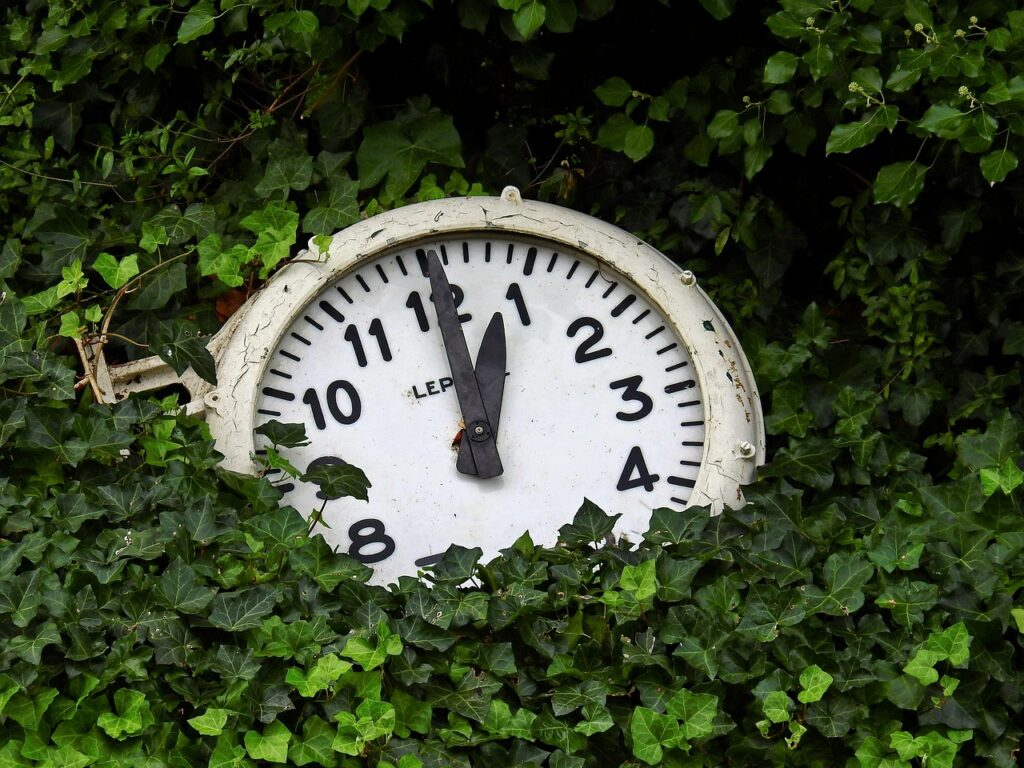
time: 1:00
